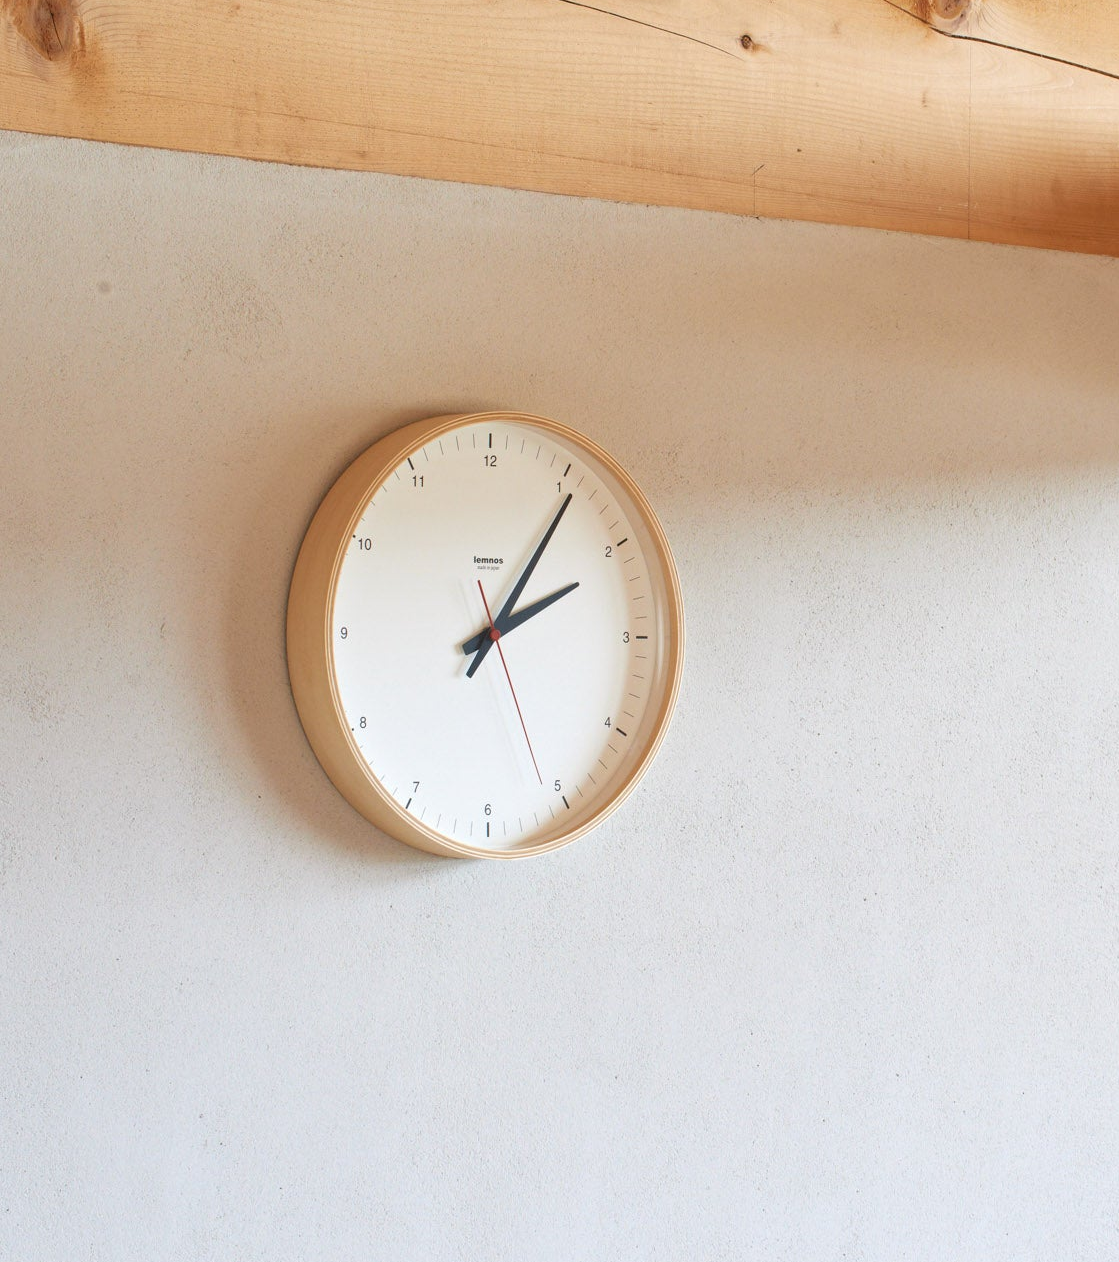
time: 2:05
